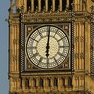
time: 6:00
